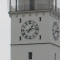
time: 1:13
